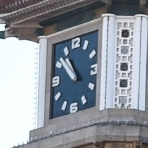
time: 10:51
